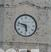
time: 5:47
